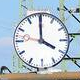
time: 3:59
